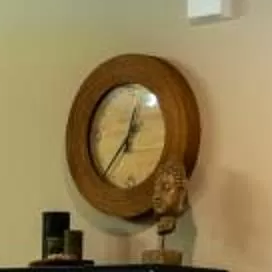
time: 12:36
